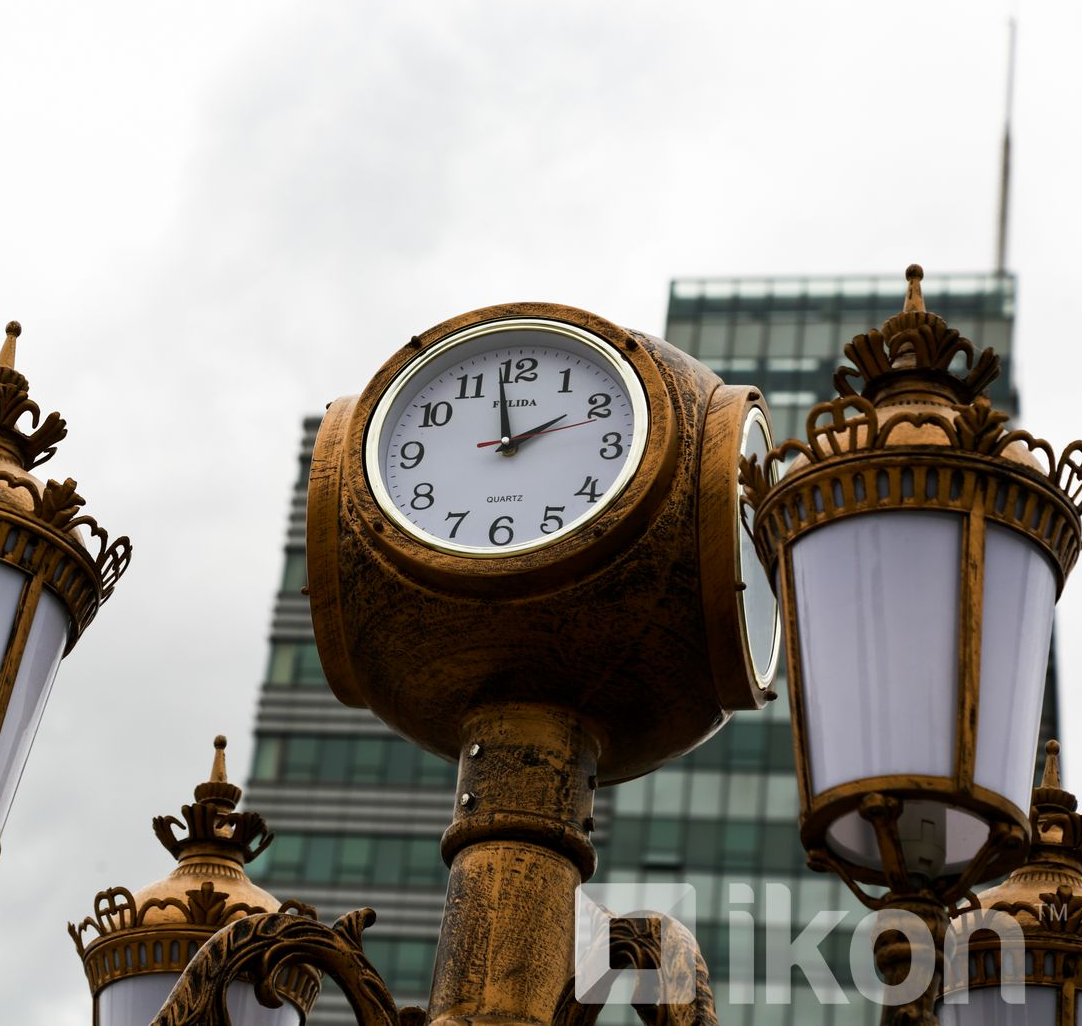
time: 1:58
